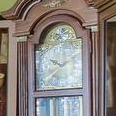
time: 9:38
